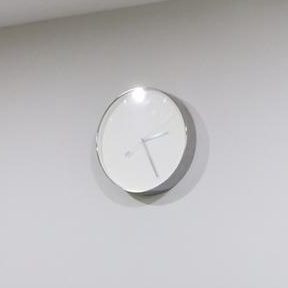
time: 2:24
